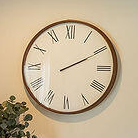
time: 2:10
